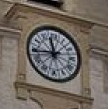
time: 11:43
